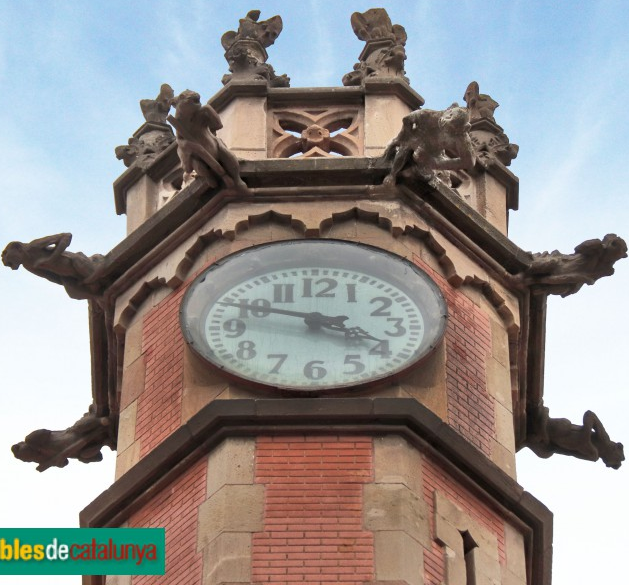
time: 3:47
